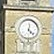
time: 12:22
